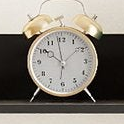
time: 9:58
